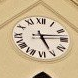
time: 5:13
